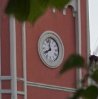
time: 7:58
